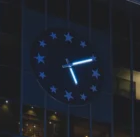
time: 5:10
